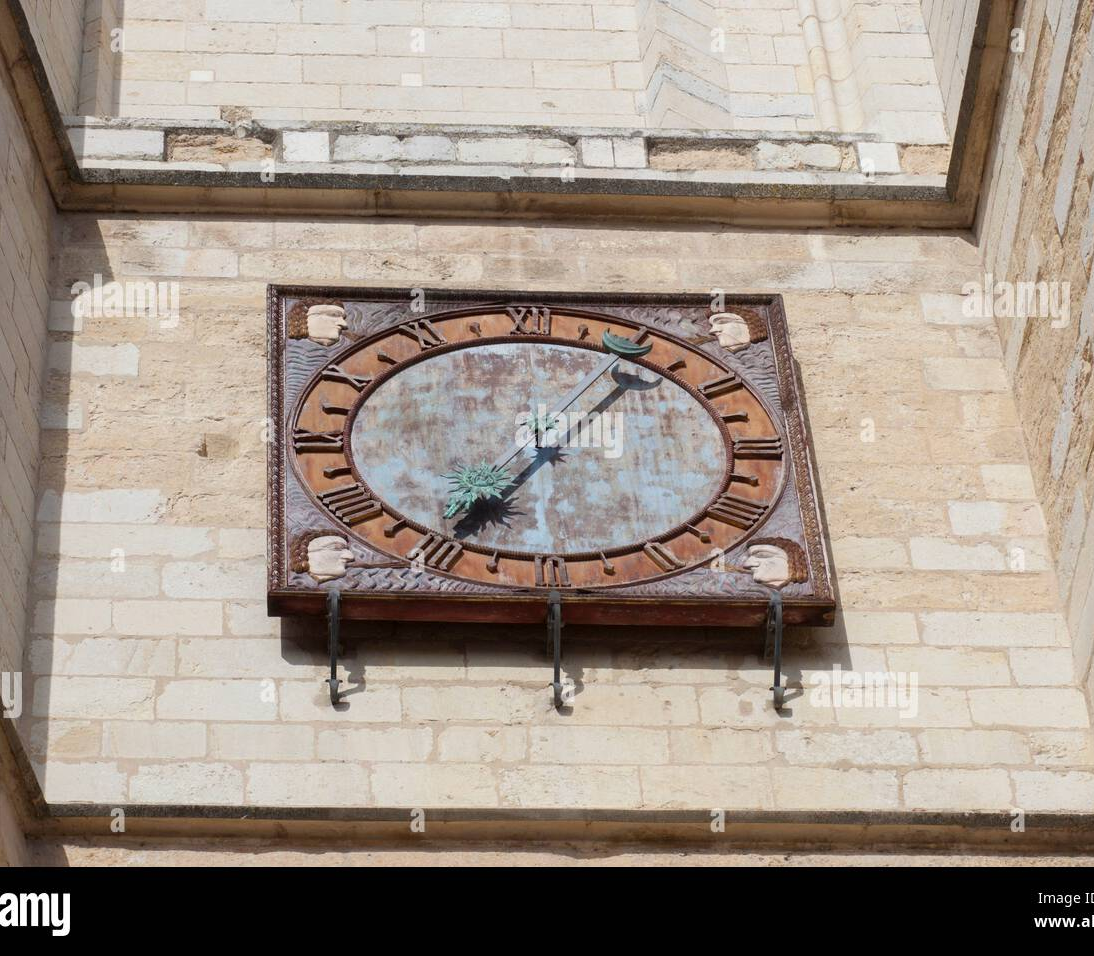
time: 7:06
